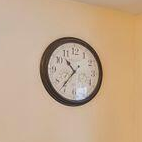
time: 10:36
